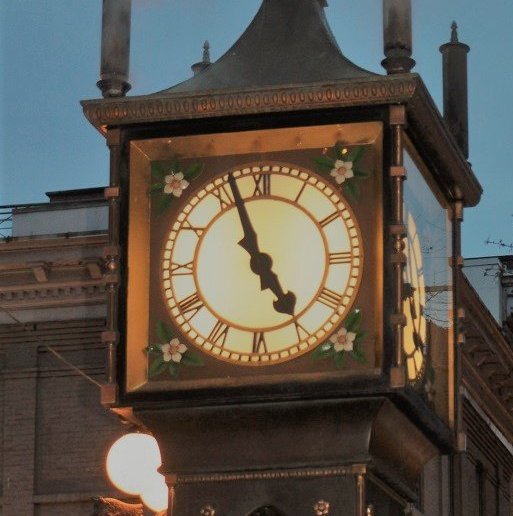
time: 4:57
